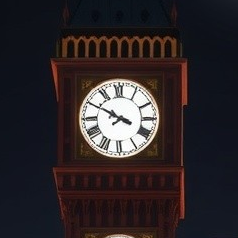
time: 3:49
